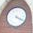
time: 4:20
